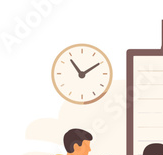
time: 1:53
